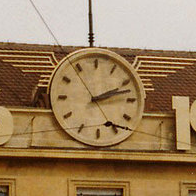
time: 2:12
